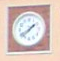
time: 1:38
